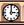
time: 3:00
